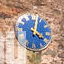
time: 4:02
